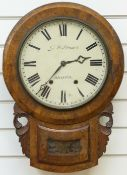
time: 2:36
